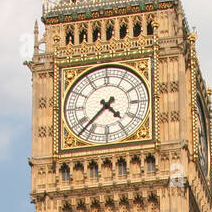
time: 4:37
